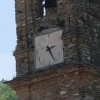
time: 2:25
